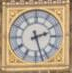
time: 2:27
